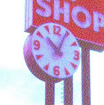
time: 10:04
